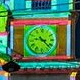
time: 9:22
